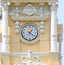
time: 1:21
